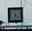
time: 6:23
